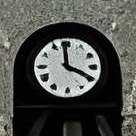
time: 3:58
